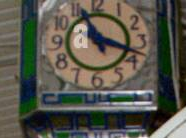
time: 11:18
